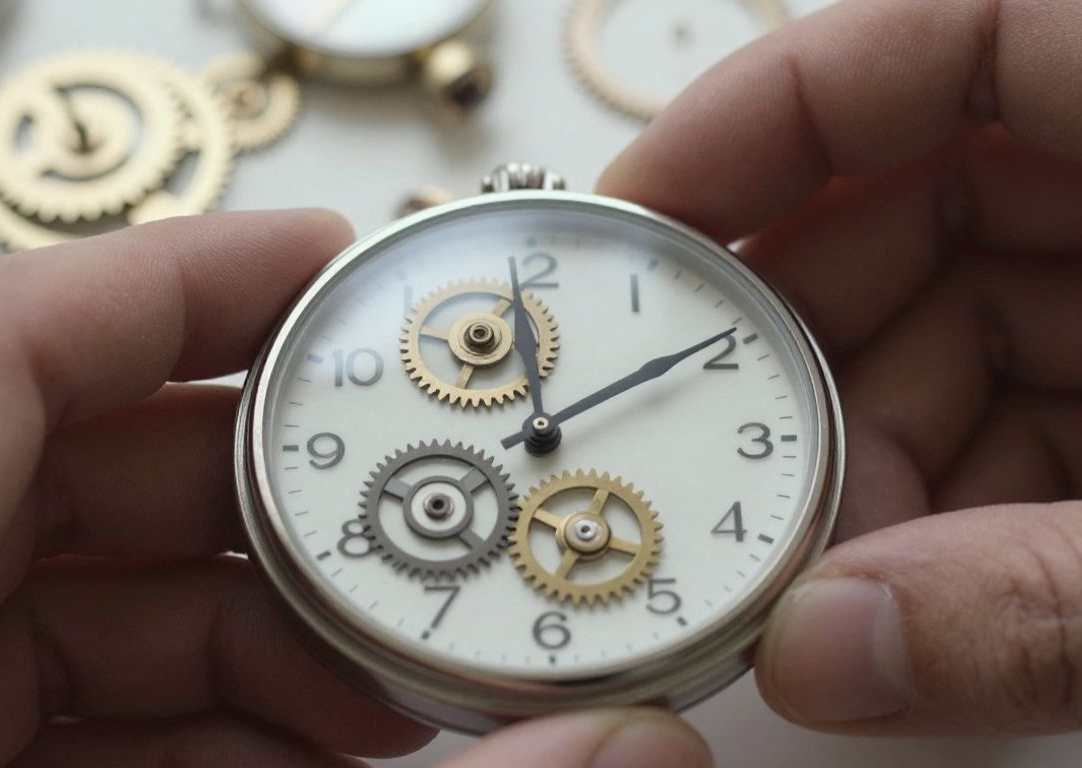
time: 12:09
